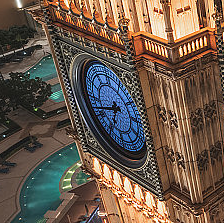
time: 6:41
